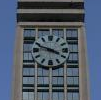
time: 3:48
